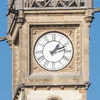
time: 1:11
